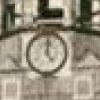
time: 5:00
